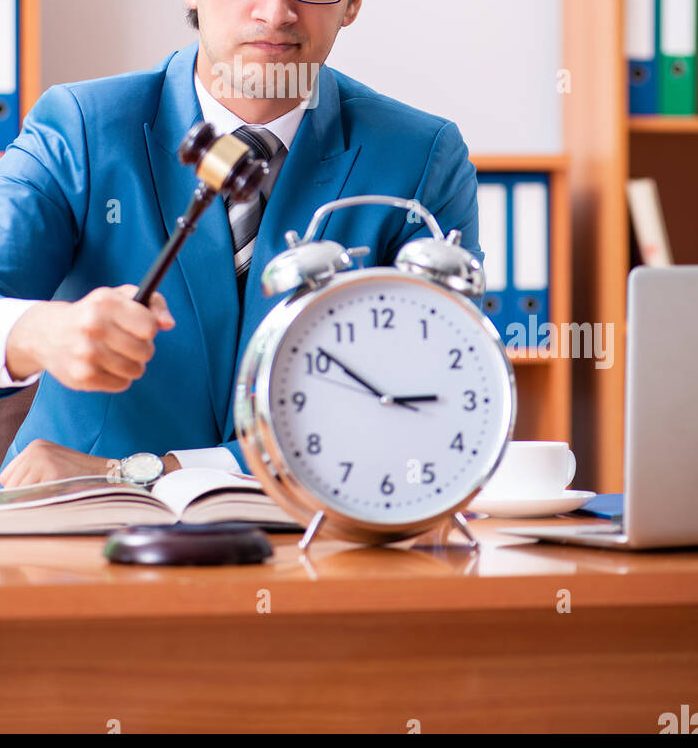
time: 2:51
